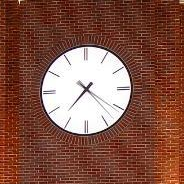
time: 7:20
